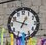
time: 12:48
